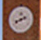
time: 8:11
